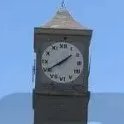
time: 1:39
